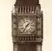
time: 1:35
